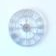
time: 6:14
